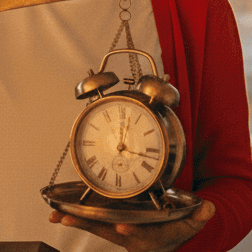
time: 12:16
